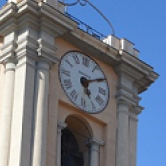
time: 5:09
